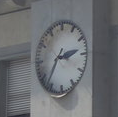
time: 2:36
